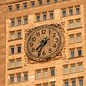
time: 7:33
